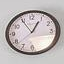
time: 12:54
